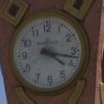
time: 4:17
